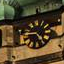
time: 4:45
